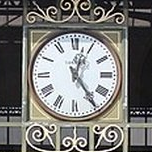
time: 12:24
